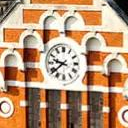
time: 9:38
